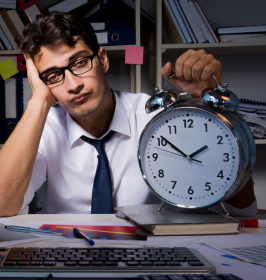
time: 1:51
